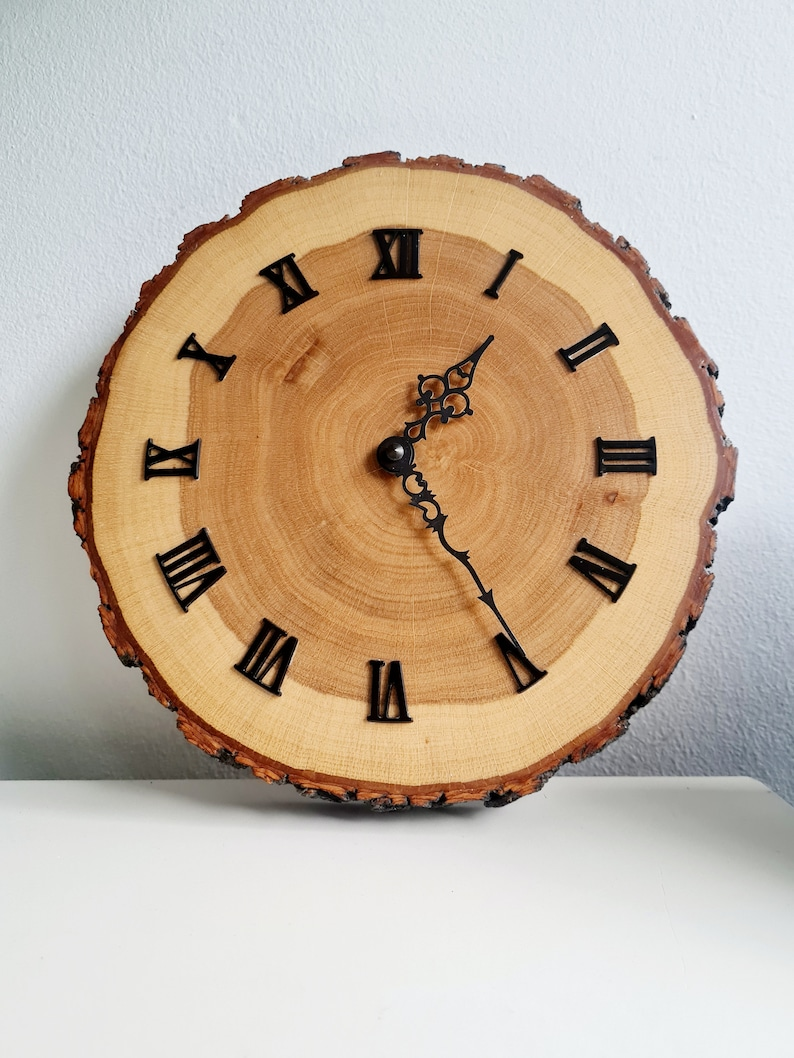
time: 1:24
